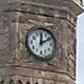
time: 12:10
